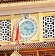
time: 5:17
